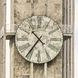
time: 10:36
